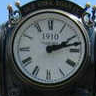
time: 2:12
